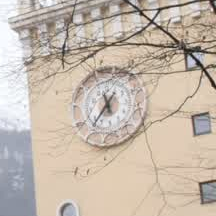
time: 5:35
